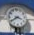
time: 3:40
